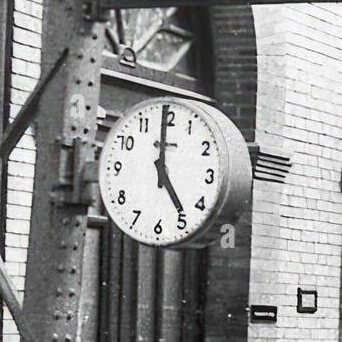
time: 4:59
